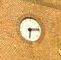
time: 6:13
